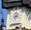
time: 8:01
